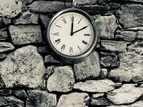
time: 12:10
